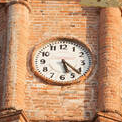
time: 5:21
